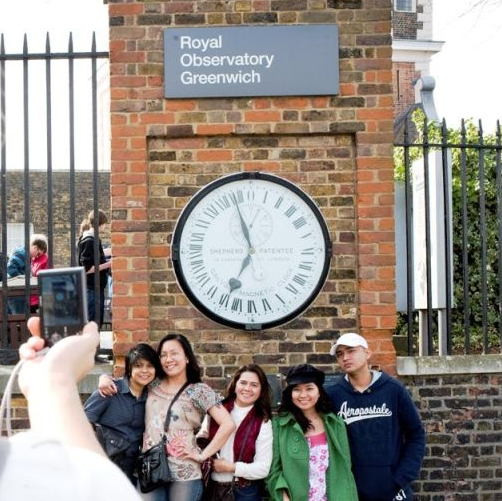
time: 6:56
